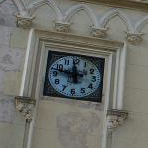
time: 11:47
